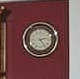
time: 2:24
